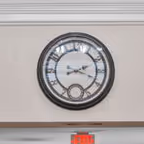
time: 2:18
